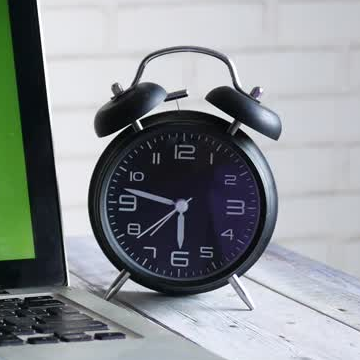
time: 5:47
